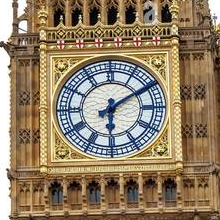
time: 6:09
